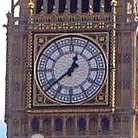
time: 12:38
